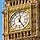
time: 12:24
